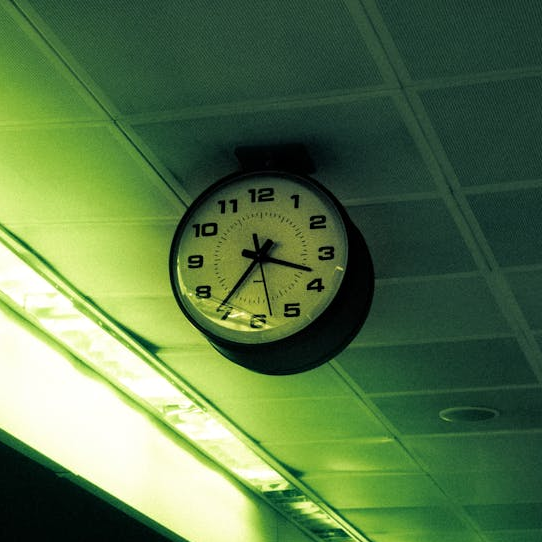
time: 3:36
